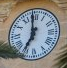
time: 6:59
